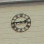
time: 2:45
